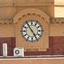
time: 4:54
